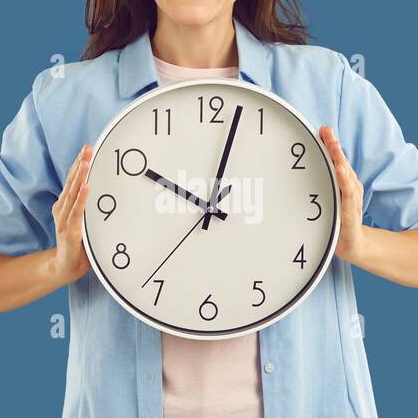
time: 10:02
